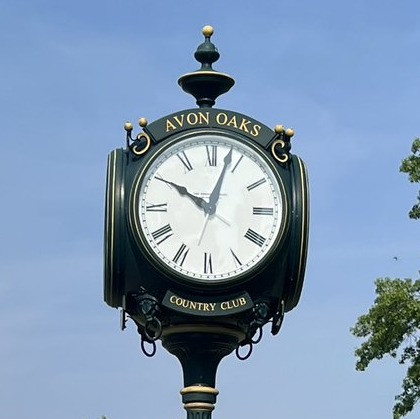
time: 10:03
